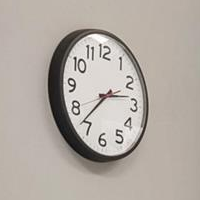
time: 2:37
